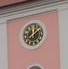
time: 12:07
